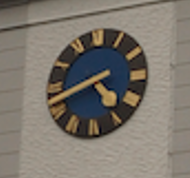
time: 4:41
